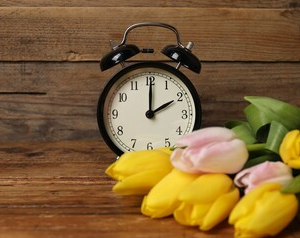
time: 2:00
